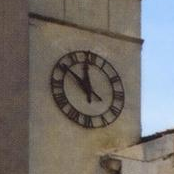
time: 11:50
